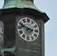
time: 2:48
